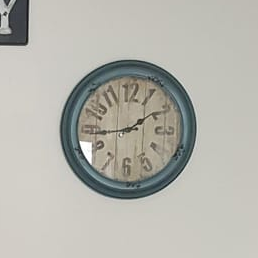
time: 1:43
